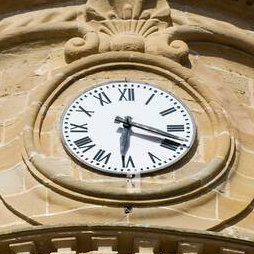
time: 6:18
